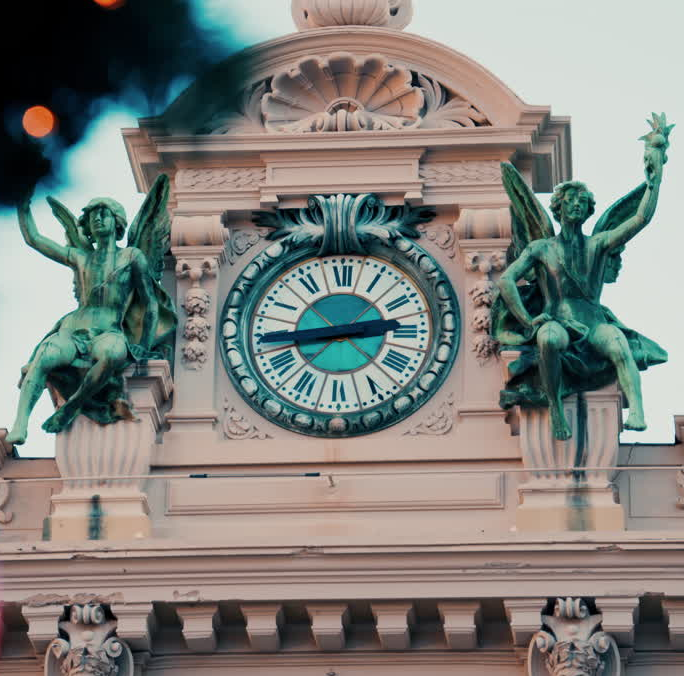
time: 2:43
